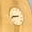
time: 8:42
